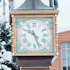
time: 4:26
